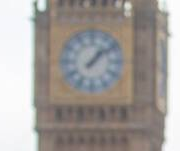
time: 1:08
